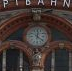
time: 12:21
